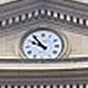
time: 9:54
